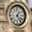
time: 1:24
